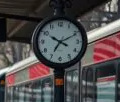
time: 10:10
